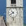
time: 10:39
